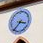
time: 3:37
